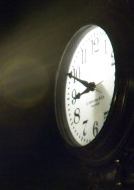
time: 8:49
